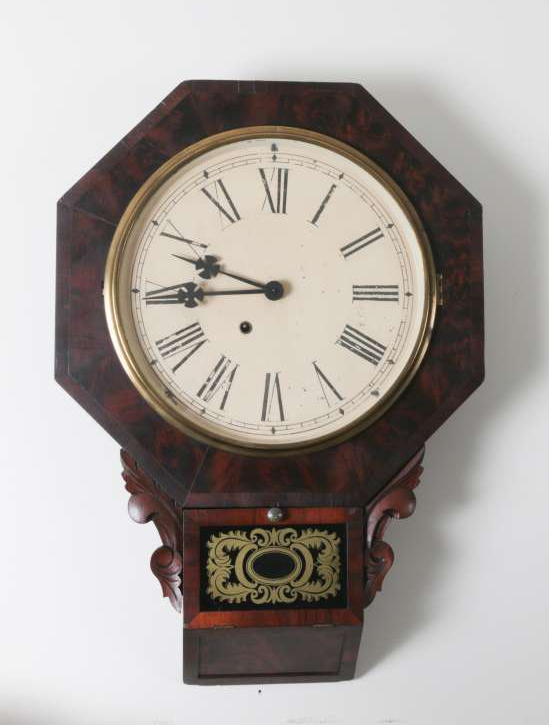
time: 9:44
